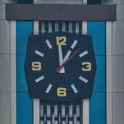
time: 12:59
